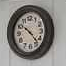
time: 10:22
